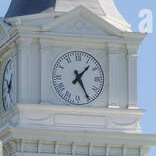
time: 1:25
